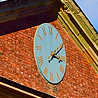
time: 3:09
